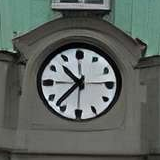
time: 10:37
